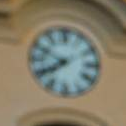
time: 7:49
